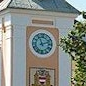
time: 11:11
